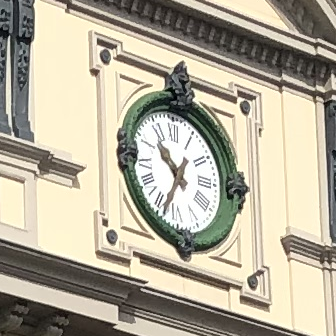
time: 10:34
